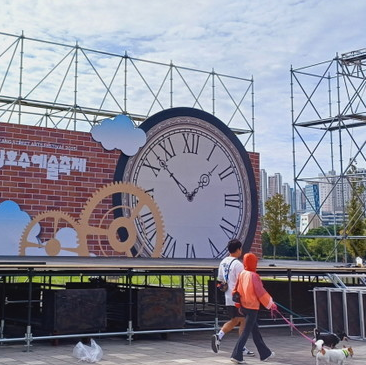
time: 1:52
